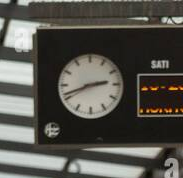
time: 2:41
